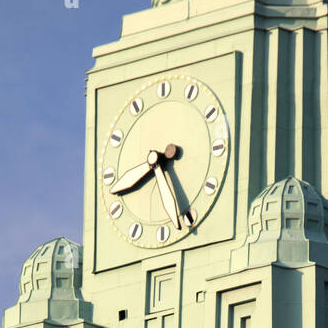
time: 8:25
